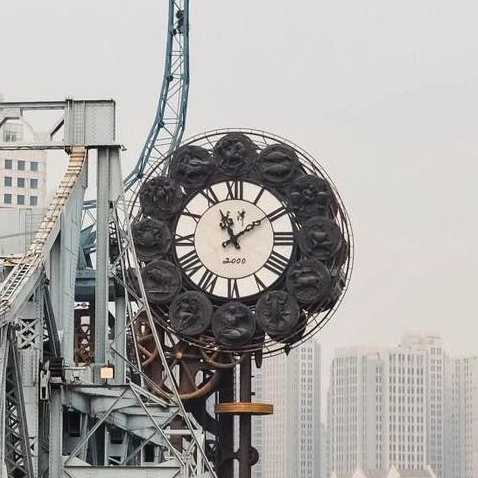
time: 11:09
